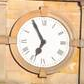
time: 6:55
